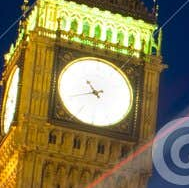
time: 10:41
